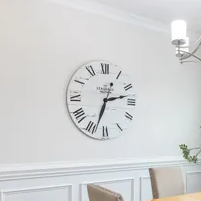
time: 2:33
